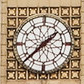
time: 1:37
